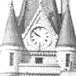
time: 9:50
